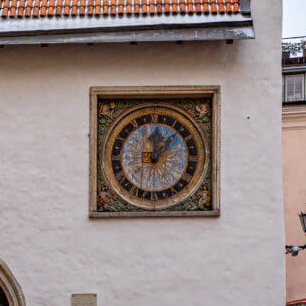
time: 12:07
